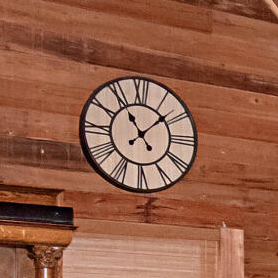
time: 11:08
